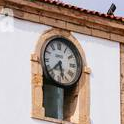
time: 5:38
